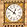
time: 12:51
